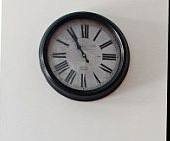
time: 10:55
